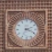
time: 2:18
